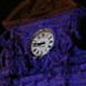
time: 8:46
